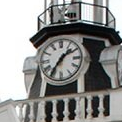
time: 1:35
